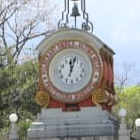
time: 12:03
